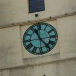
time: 11:23
